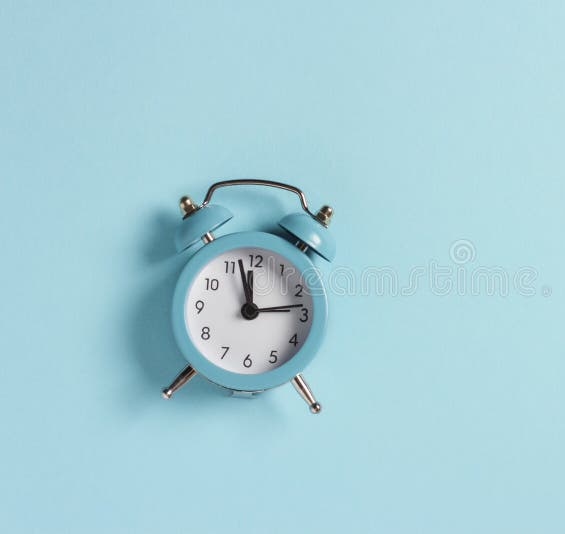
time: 11:57
